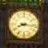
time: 8:16
